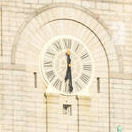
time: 6:29
